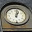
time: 1:02
